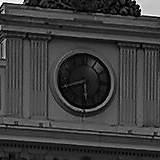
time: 5:41
